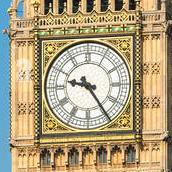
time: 9:24
